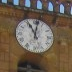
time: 11:01
